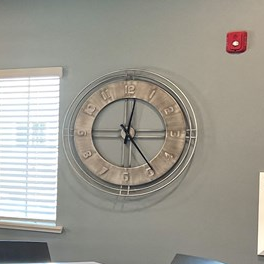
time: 12:24
